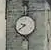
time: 9:38
